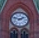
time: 1:47
